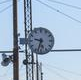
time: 9:33
